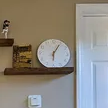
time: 6:05
